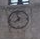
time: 7:57
